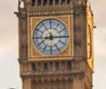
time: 8:15
